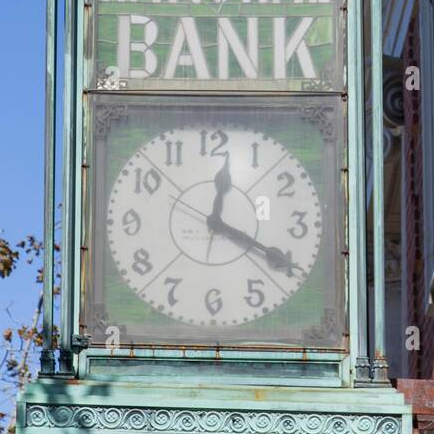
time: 12:19
